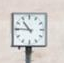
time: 10:45
